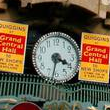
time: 3:31
